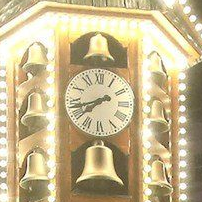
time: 7:42
